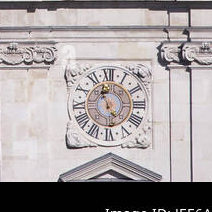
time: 4:57
